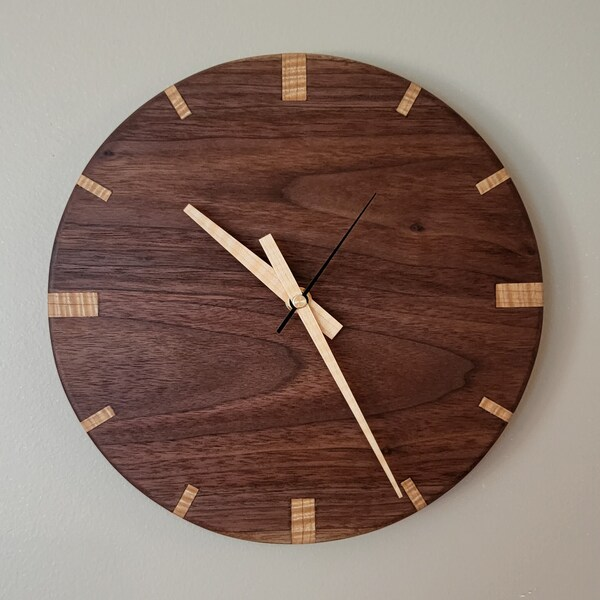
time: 10:25
